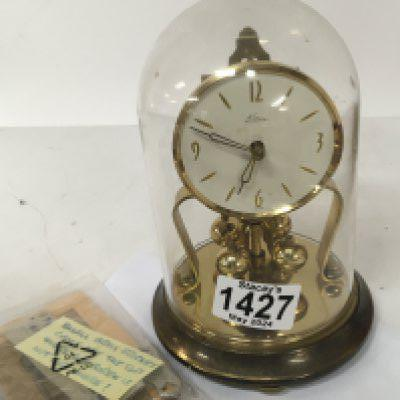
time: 6:48
